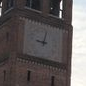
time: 9:01
